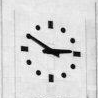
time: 2:50
